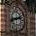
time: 2:42
